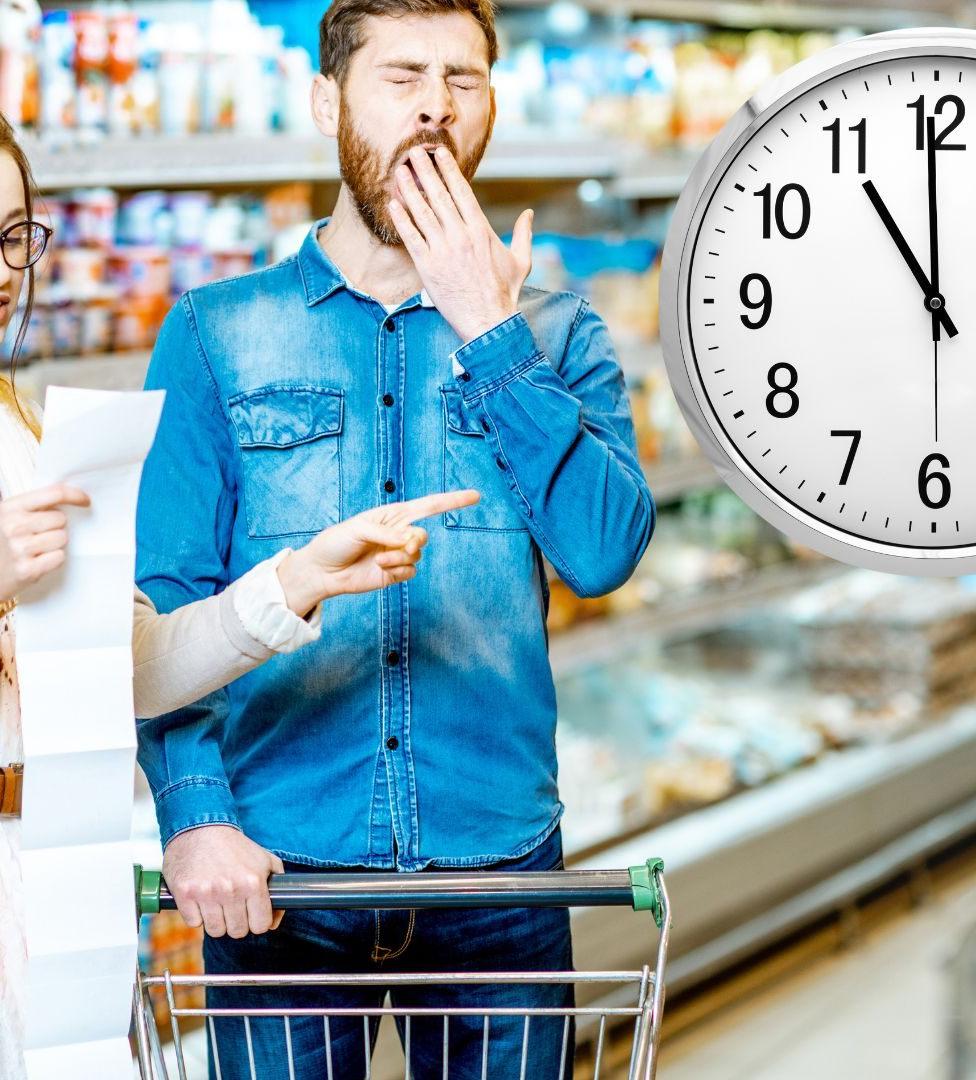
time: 11:00
